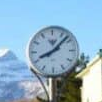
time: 8:07
